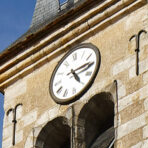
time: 5:14
